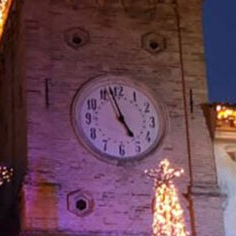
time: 4:57
